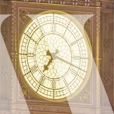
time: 7:18
